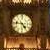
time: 4:46
